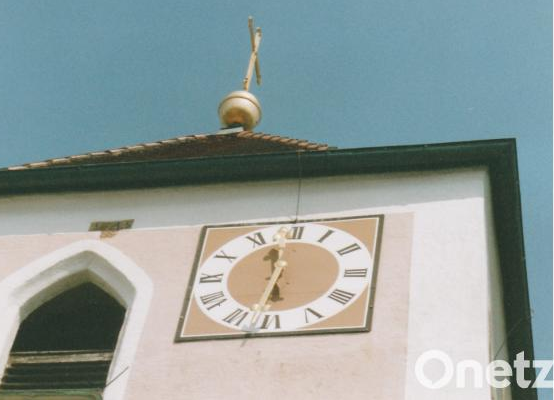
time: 11:32
